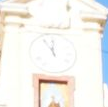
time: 11:54
